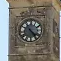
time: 4:23
